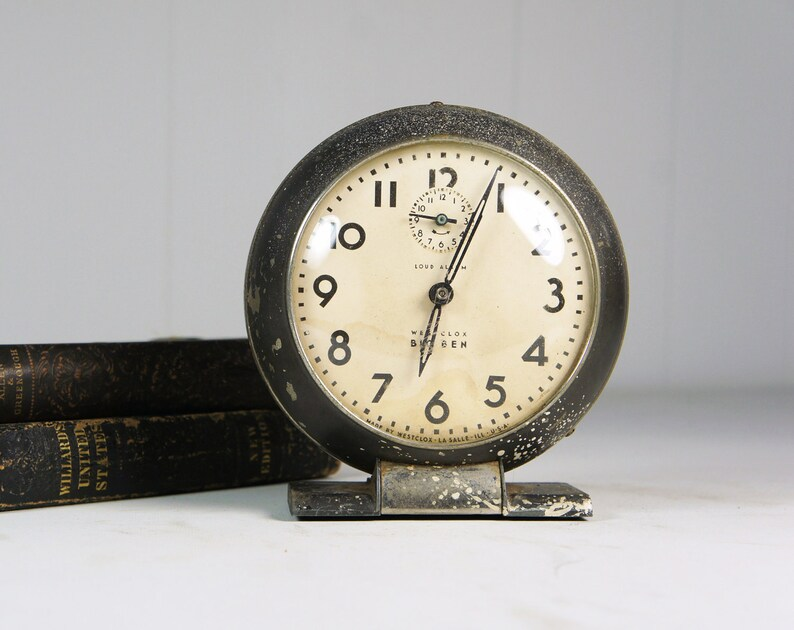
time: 6:03
